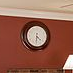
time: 4:30
